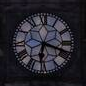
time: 6:18
